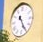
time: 11:25
